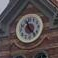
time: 11:23
